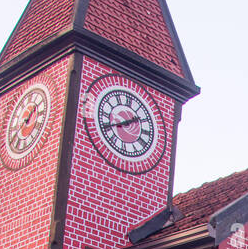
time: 1:40
